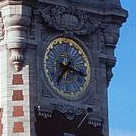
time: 7:17
